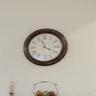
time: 3:57
